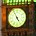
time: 4:56
